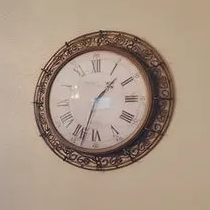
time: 1:33
